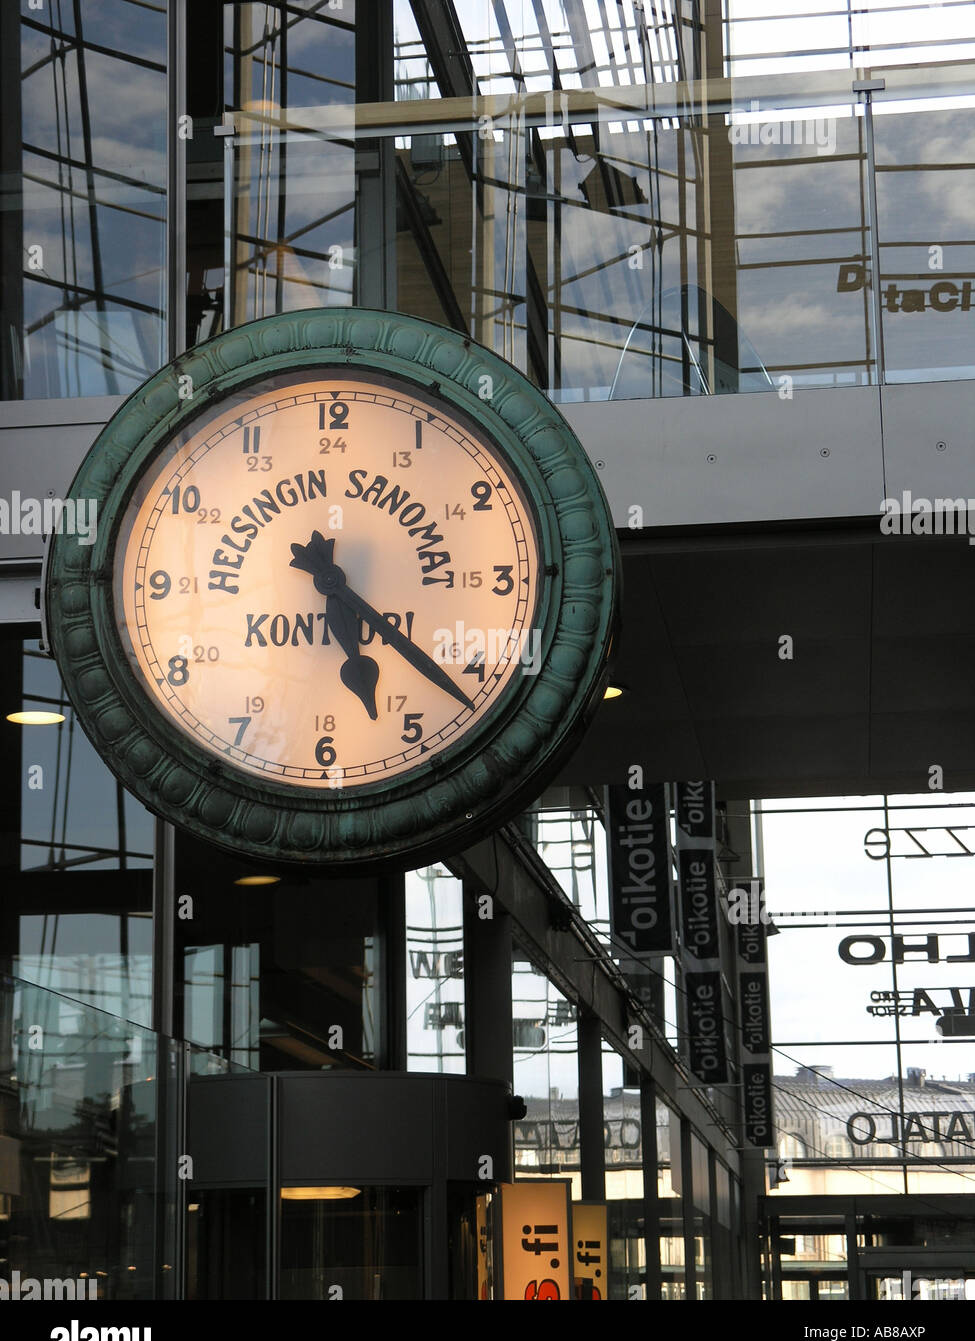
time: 5:21
